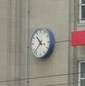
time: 10:37
